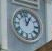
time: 12:57
